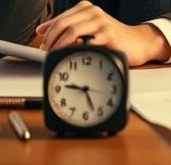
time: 9:26
